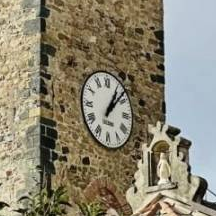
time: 1:08
